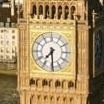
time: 7:29
